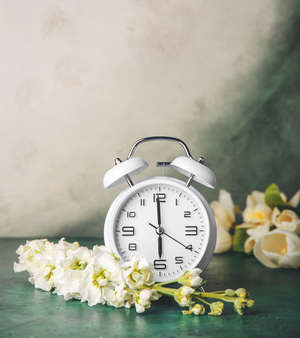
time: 5:59
